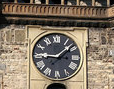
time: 9:08
